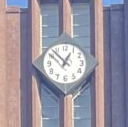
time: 12:52
